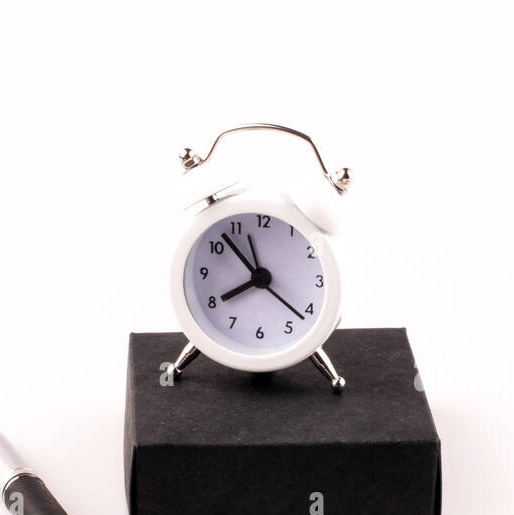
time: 7:52
